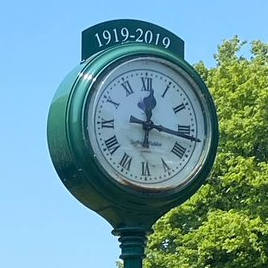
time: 12:16
